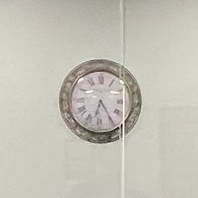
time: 6:24
